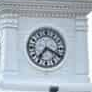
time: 7:19
